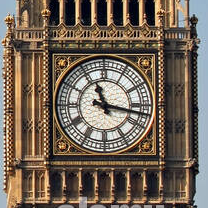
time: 11:16
